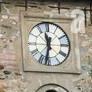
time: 11:32
